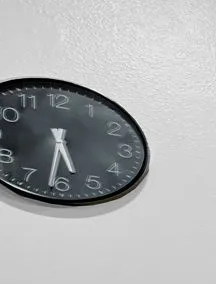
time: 5:31
